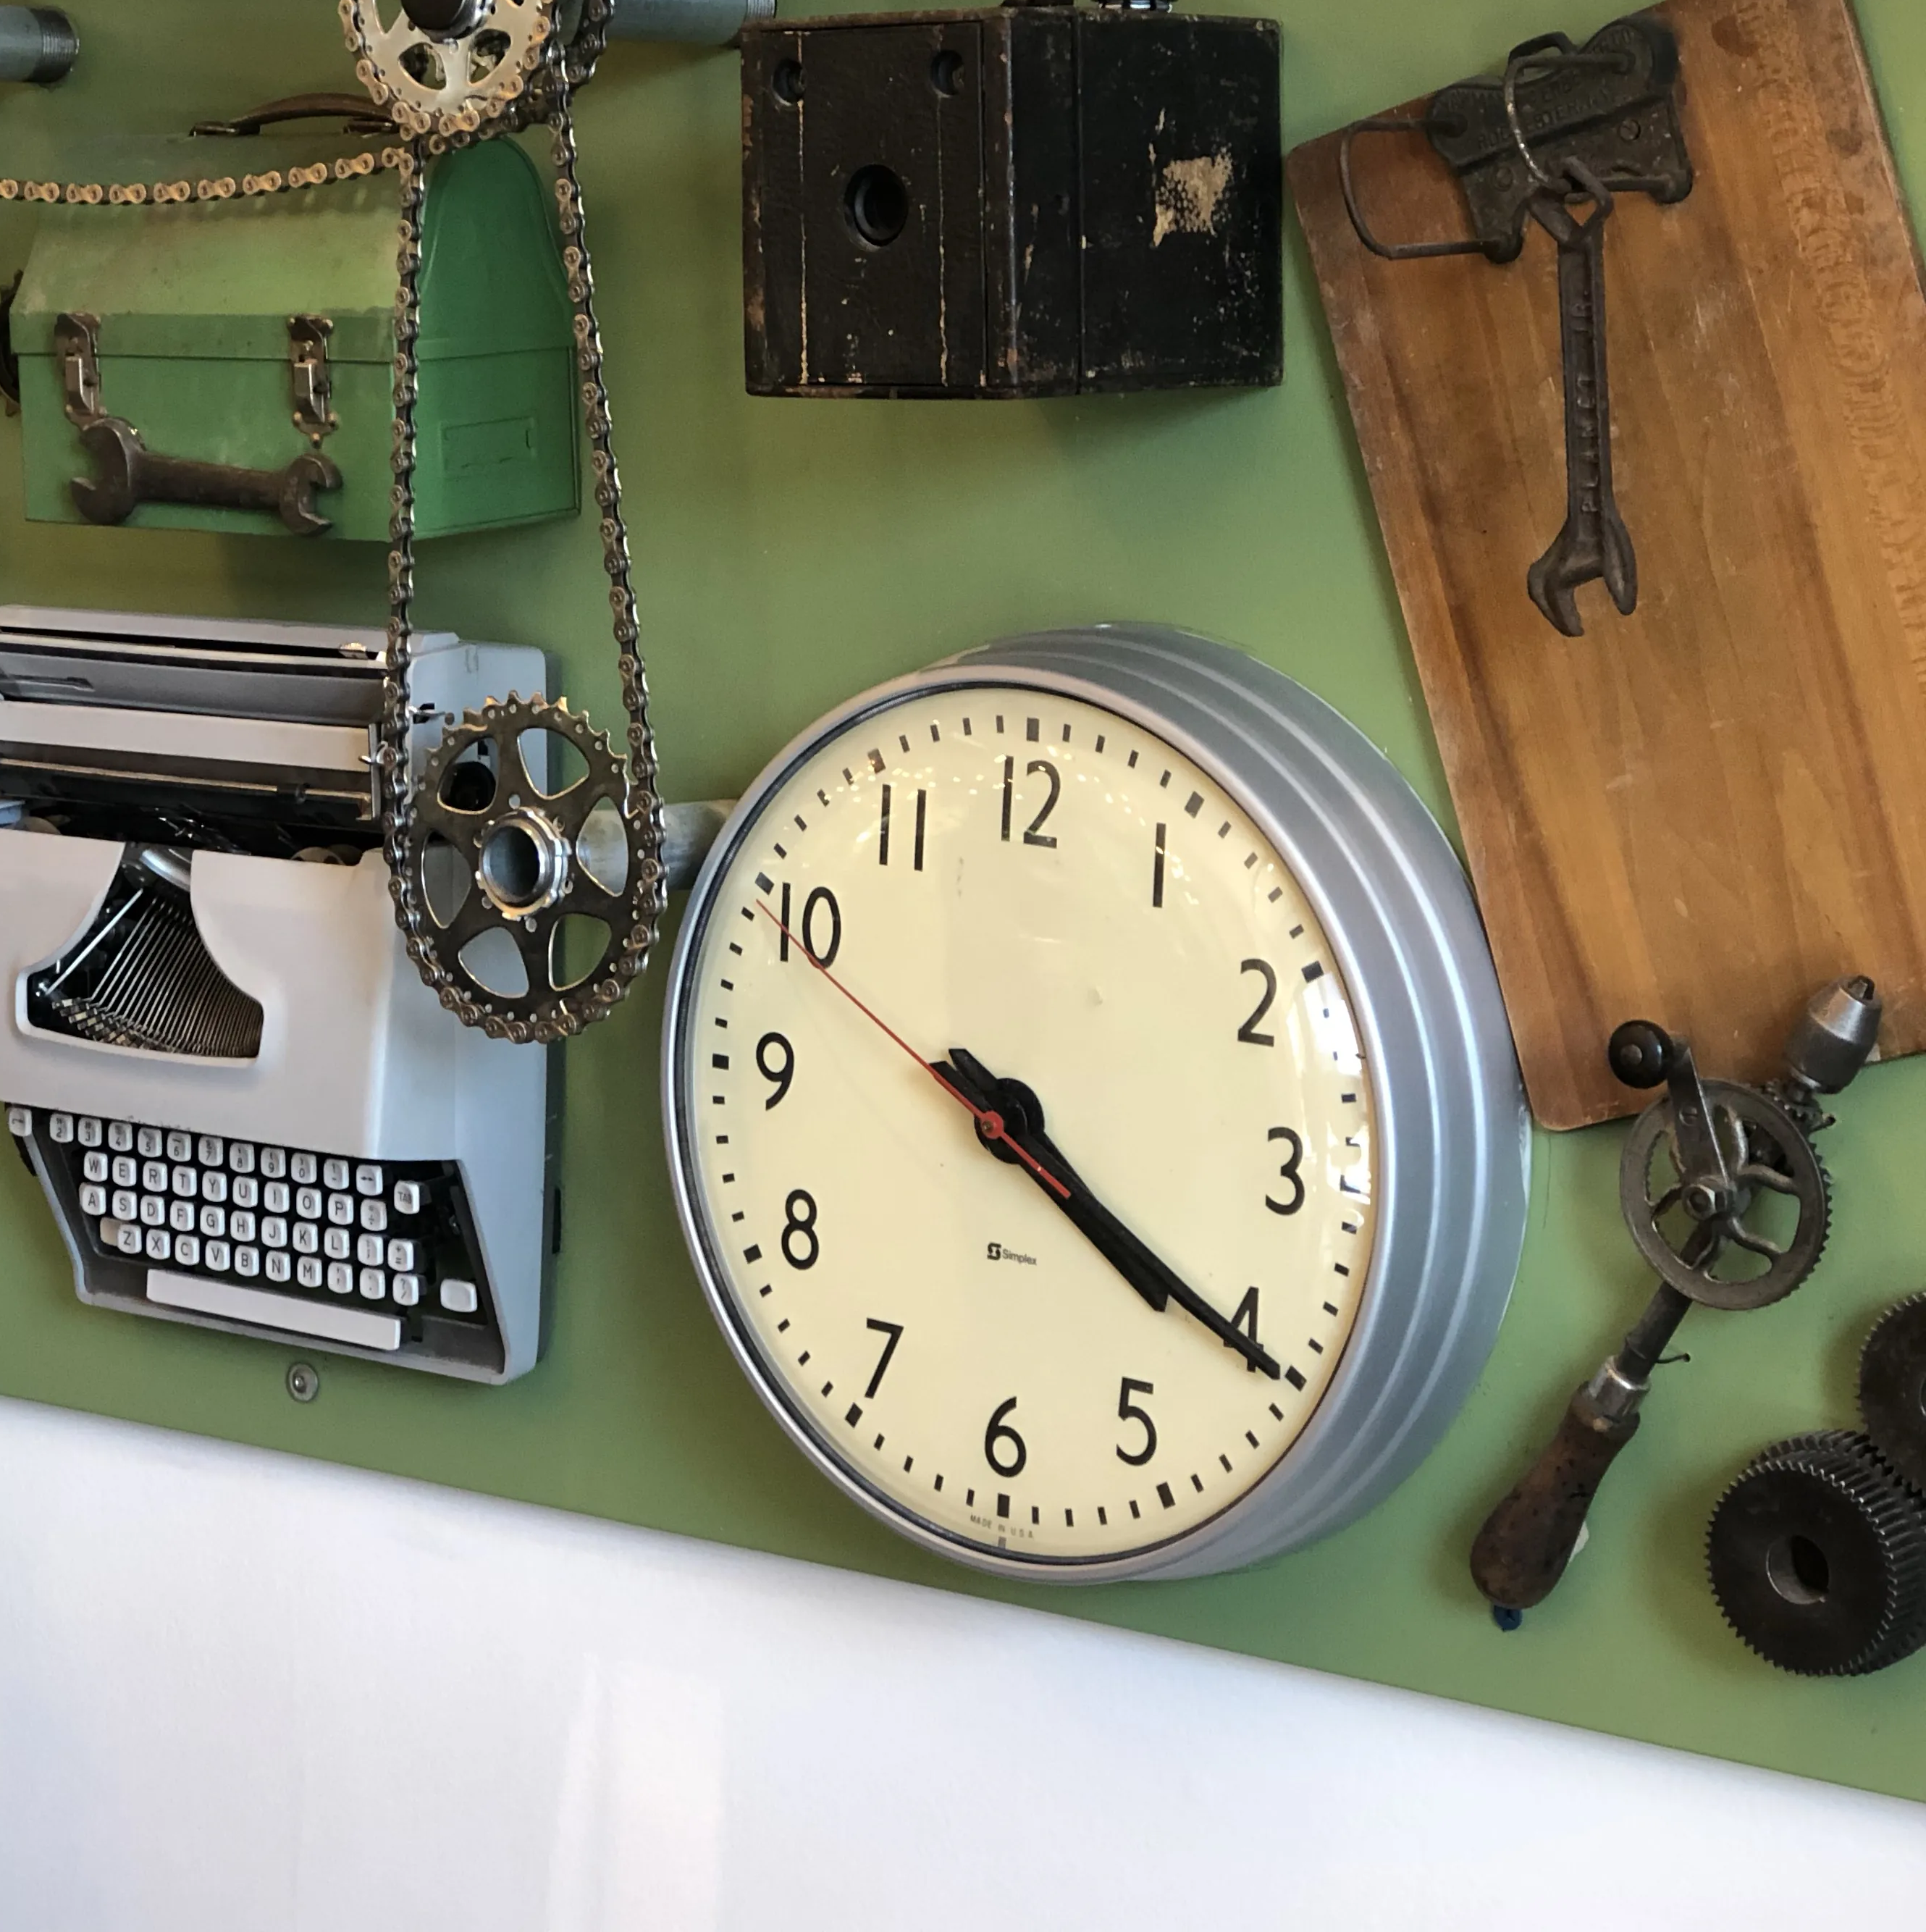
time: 4:20
